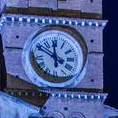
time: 11:49
